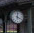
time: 4:01
